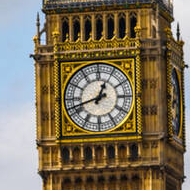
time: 12:42
